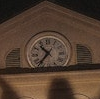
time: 10:36
